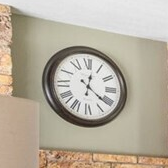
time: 12:21
